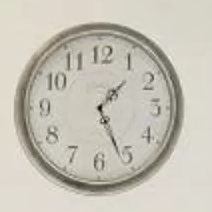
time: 1:26
